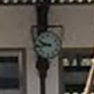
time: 9:42
